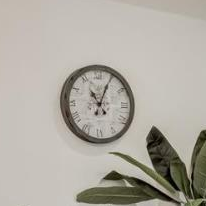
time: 11:04
